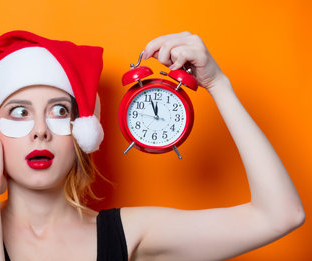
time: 11:56
